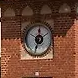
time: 11:49
